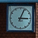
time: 3:04
